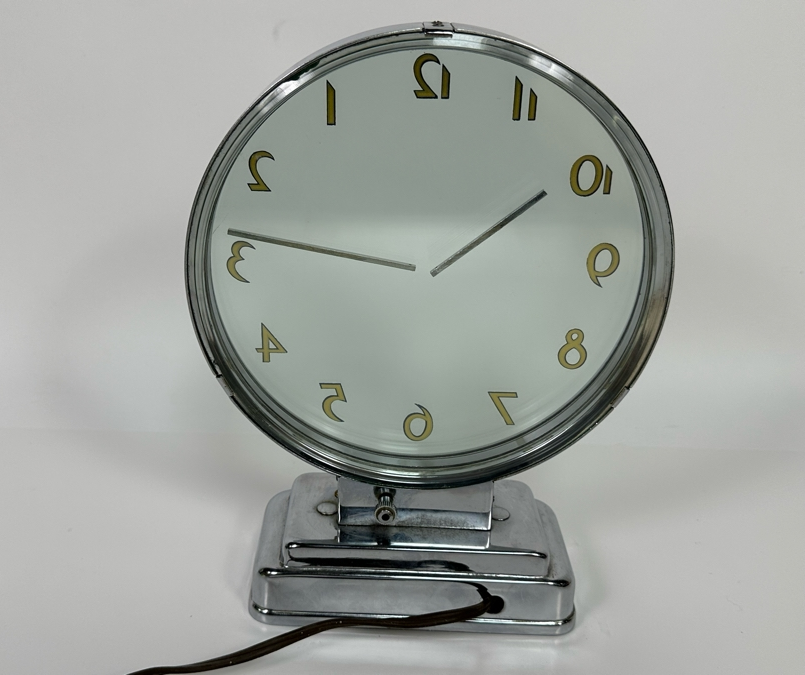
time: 1:46
